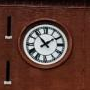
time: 1:53
